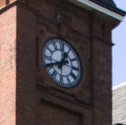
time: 12:40
